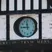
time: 11:45
